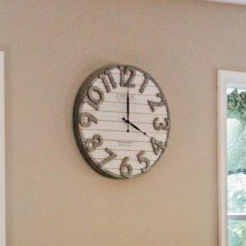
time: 4:00
